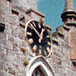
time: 12:52
